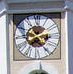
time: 2:23
